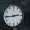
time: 2:44
